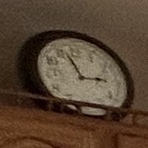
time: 2:56
